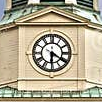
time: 6:20
